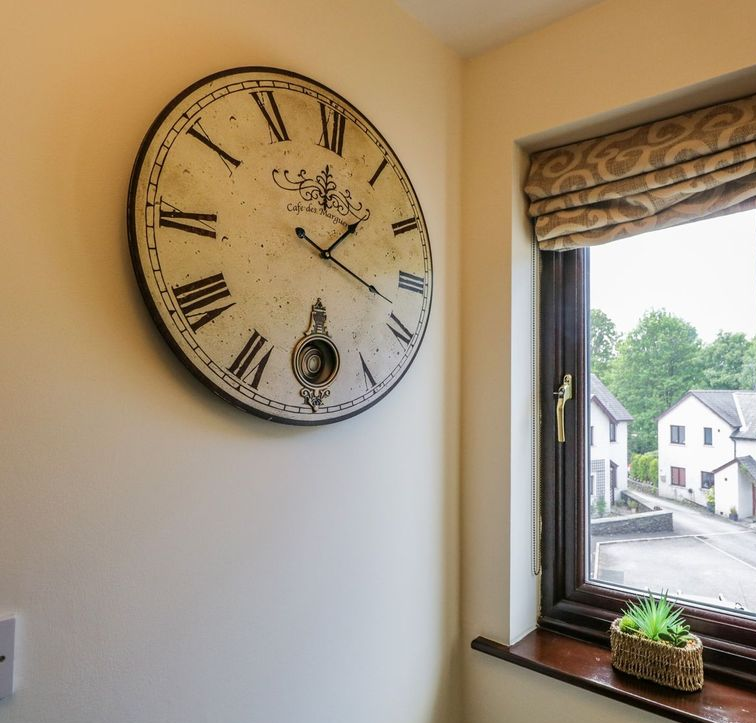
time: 1:18
